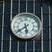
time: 5:38
